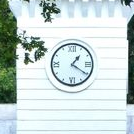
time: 1:20
